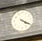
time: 4:20
